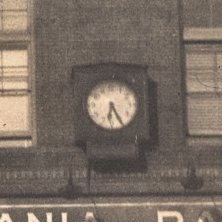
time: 6:25
